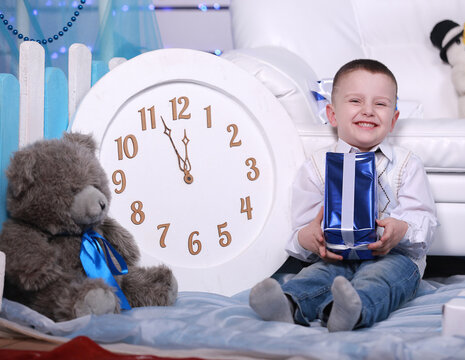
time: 11:56
